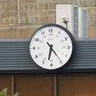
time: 6:23
